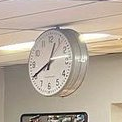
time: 12:40
